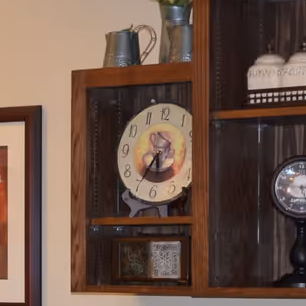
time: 5:35
